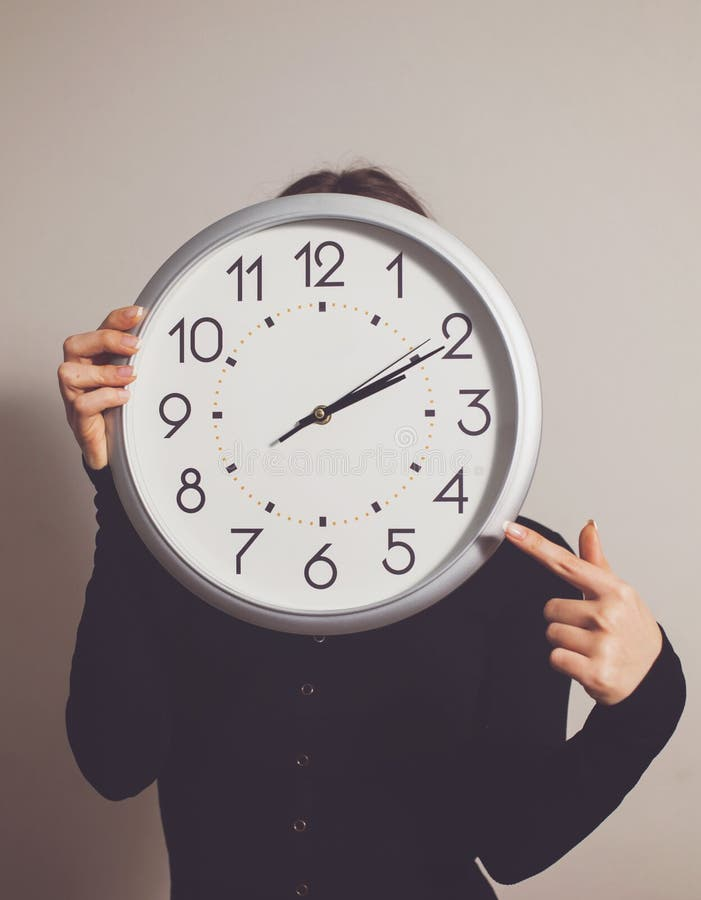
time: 2:10
